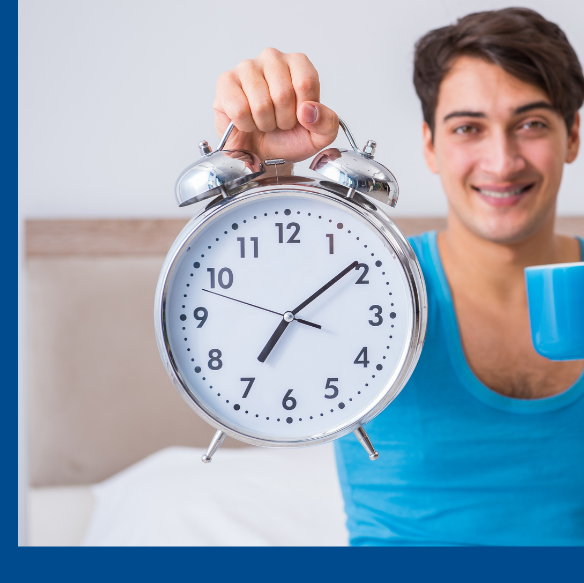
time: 7:08
